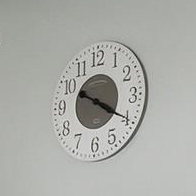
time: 4:20
